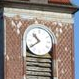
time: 10:39
